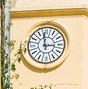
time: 2:58
